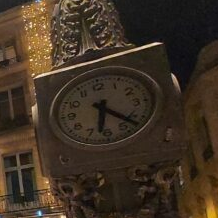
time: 6:21
